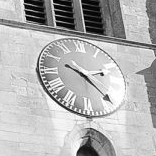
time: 10:22
